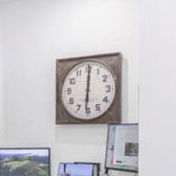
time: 6:00
